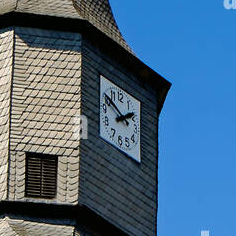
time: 1:50
